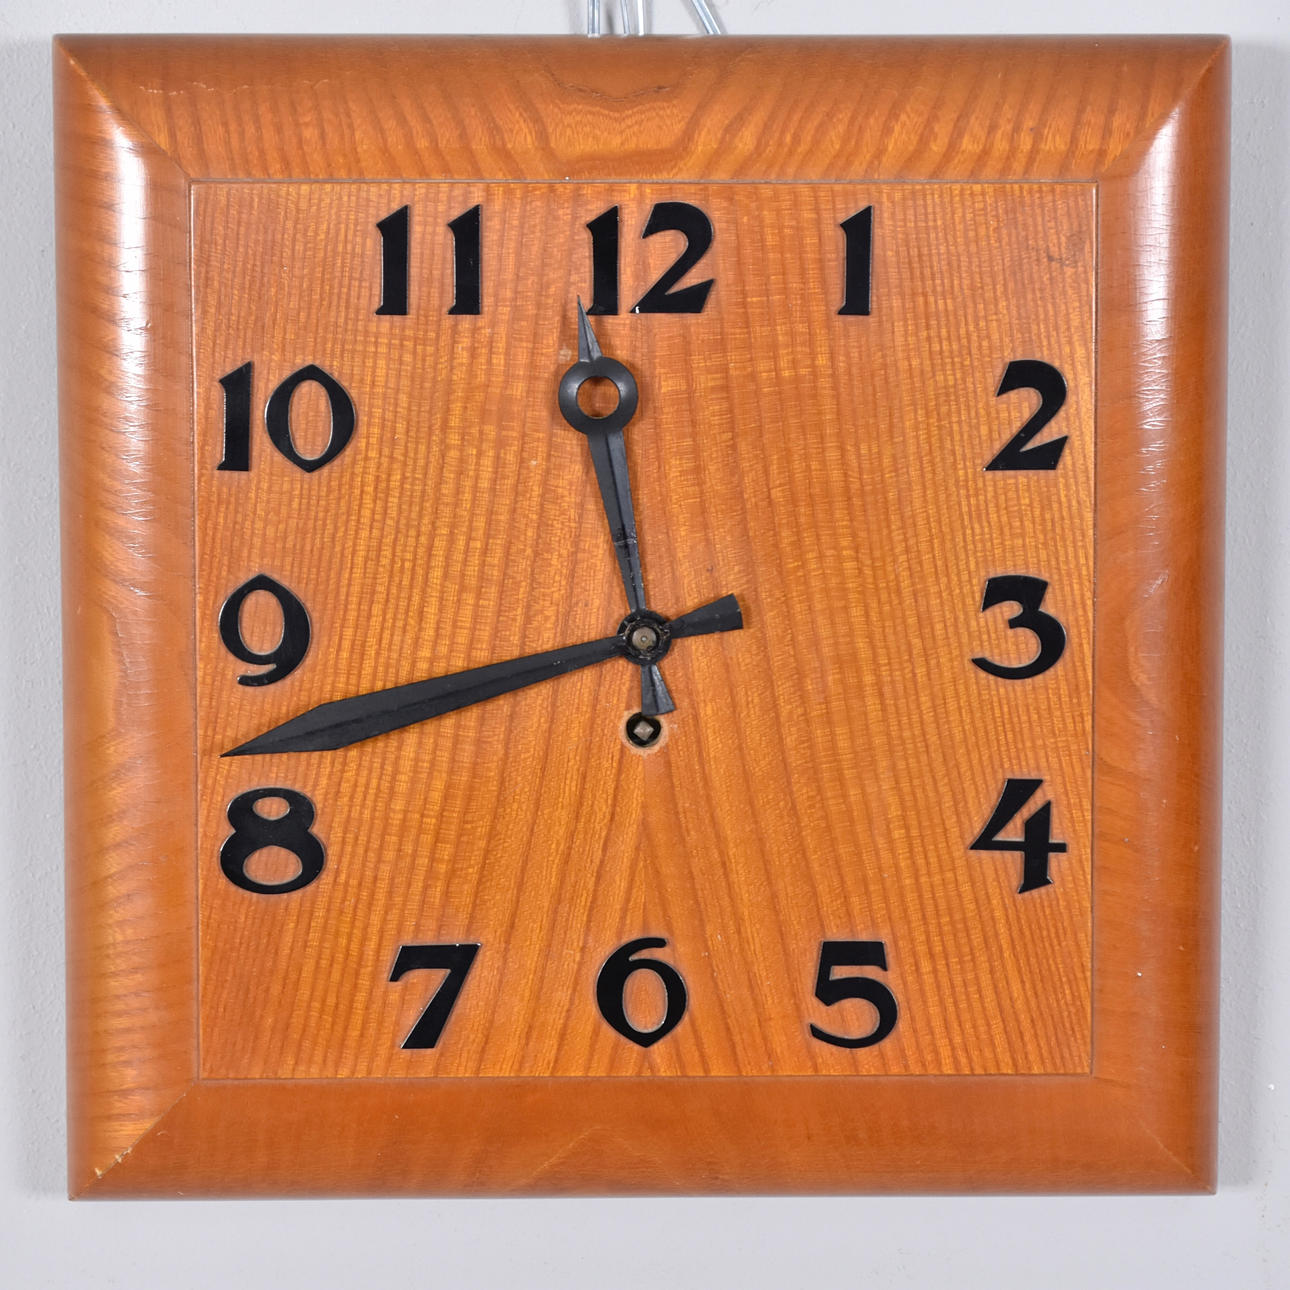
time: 11:42
